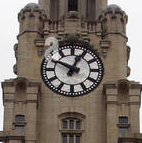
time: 12:49
